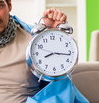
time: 8:16
